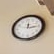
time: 12:14
